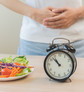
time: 10:52
